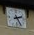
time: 2:25
